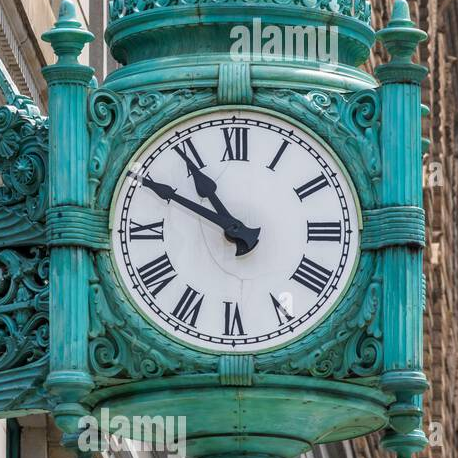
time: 10:49
